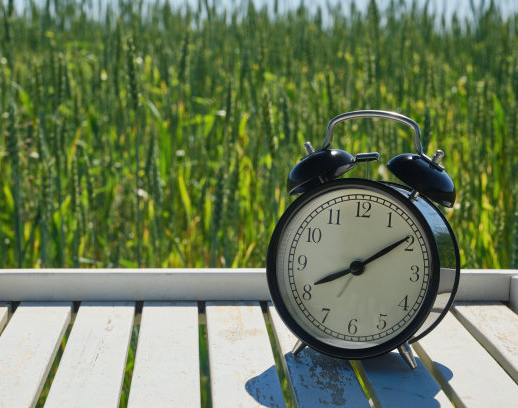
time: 8:09
